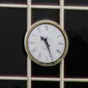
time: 10:26
